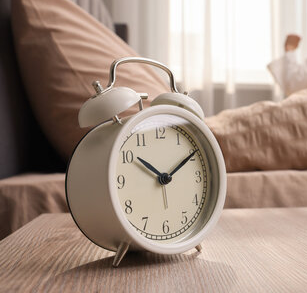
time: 10:10
